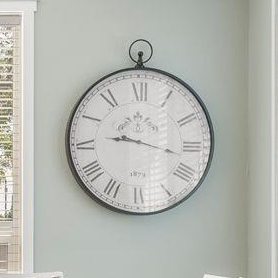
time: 9:17
